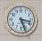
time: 3:26
